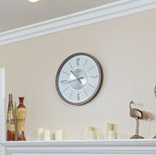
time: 10:43
